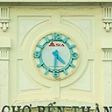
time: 4:30
